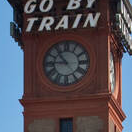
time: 10:45
